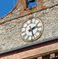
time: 2:27
